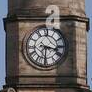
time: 3:30
